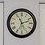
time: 11:12
